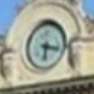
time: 6:17
